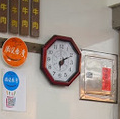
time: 6:10
